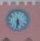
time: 5:31
